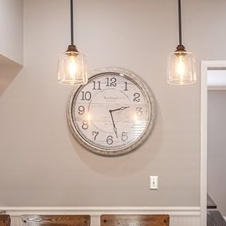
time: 2:27
